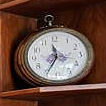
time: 11:34
